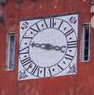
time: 9:17
